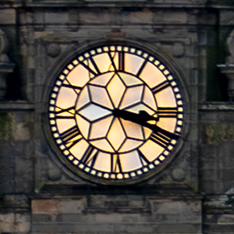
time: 3:18
